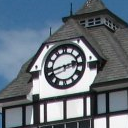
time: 2:42
